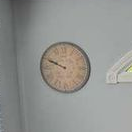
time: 9:48
